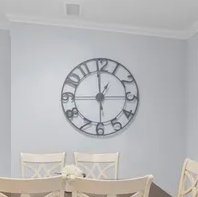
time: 1:14
